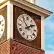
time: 1:53
